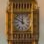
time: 11:50
